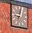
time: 9:01
